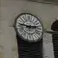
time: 2:46
